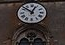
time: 12:52
